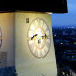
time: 8:14
